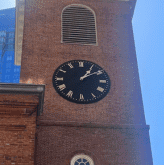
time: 1:09
